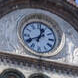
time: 12:40
